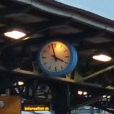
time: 3:57
